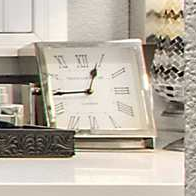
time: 12:44
